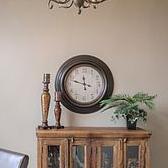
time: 11:47
